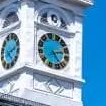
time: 2:24
